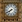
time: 7:40
